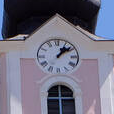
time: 1:08
